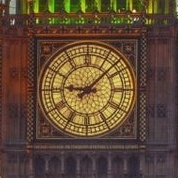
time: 9:07
